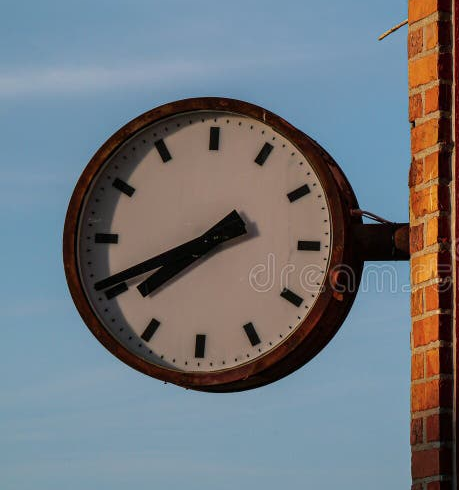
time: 7:40
